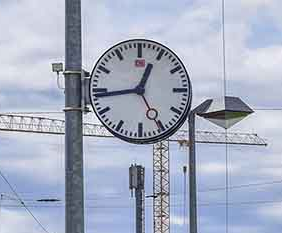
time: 12:43
